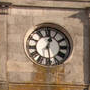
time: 12:28
